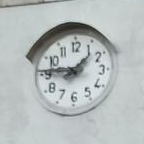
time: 1:46
